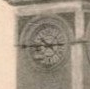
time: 2:44
